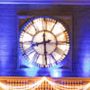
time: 8:29
